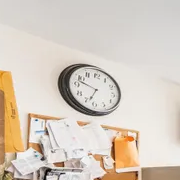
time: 6:47
